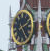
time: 2:23
